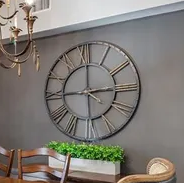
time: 3:00
